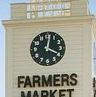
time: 4:02
